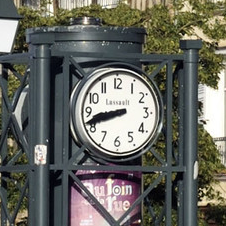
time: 8:41
